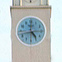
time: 4:42
